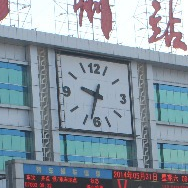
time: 9:32
